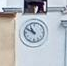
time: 10:49
